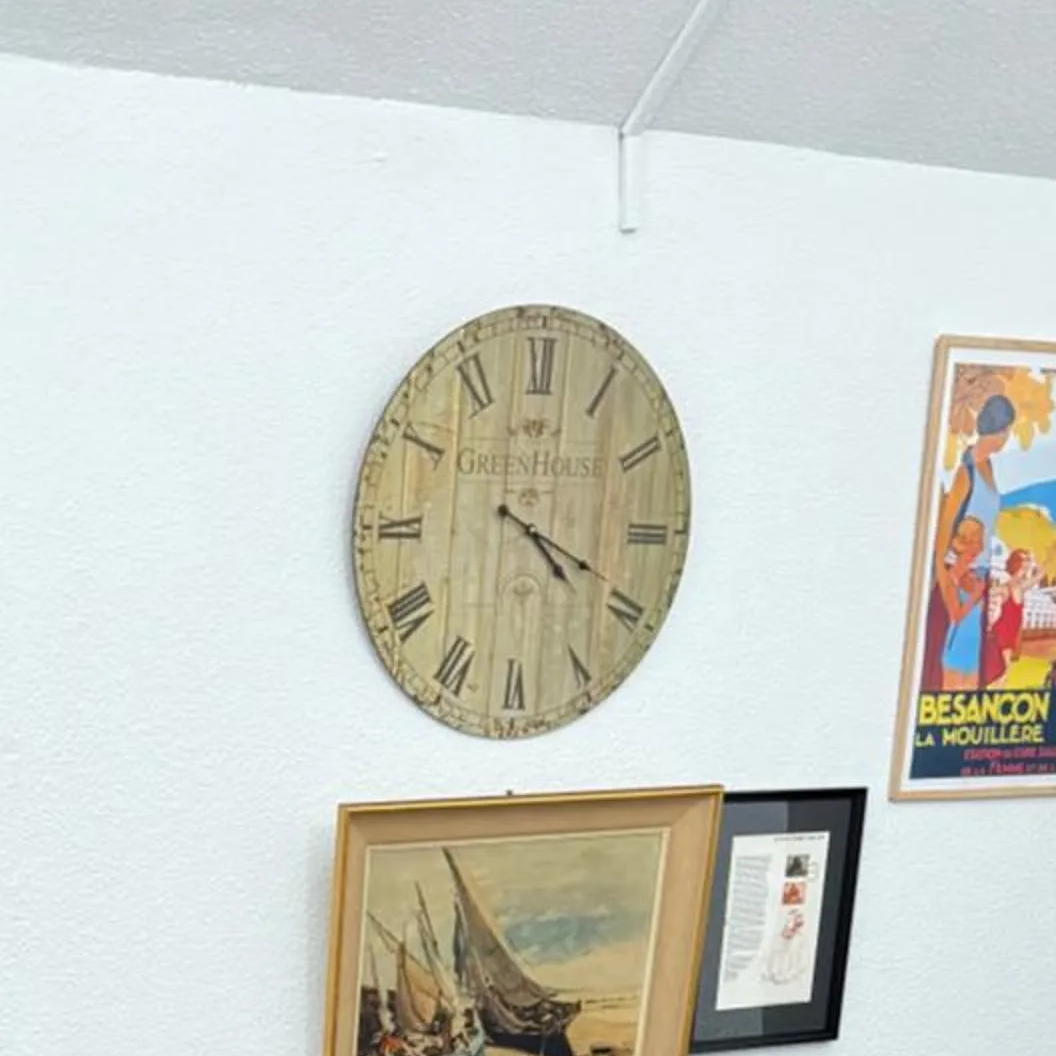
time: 4:18
